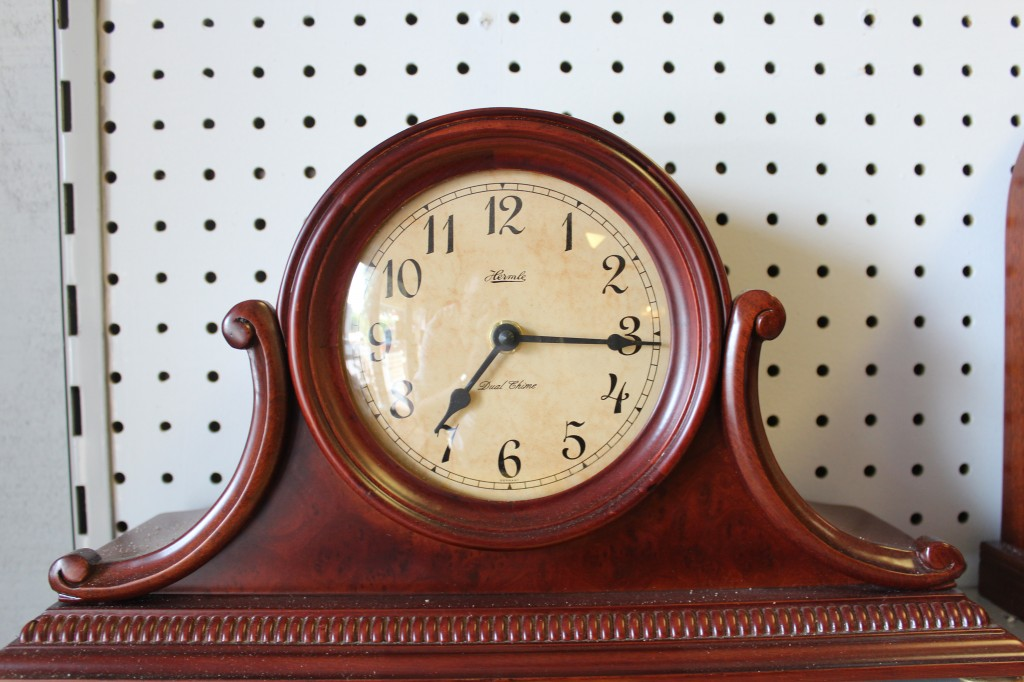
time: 7:15
